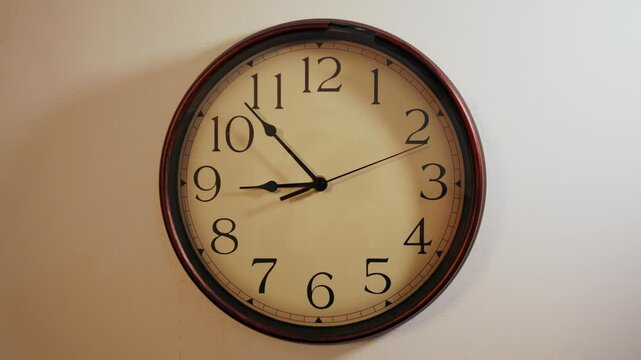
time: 8:53
